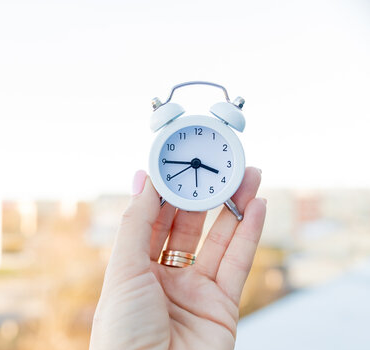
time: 3:45
